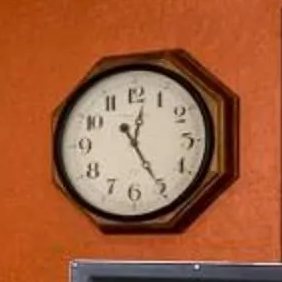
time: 12:24
